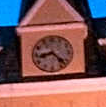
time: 8:22
